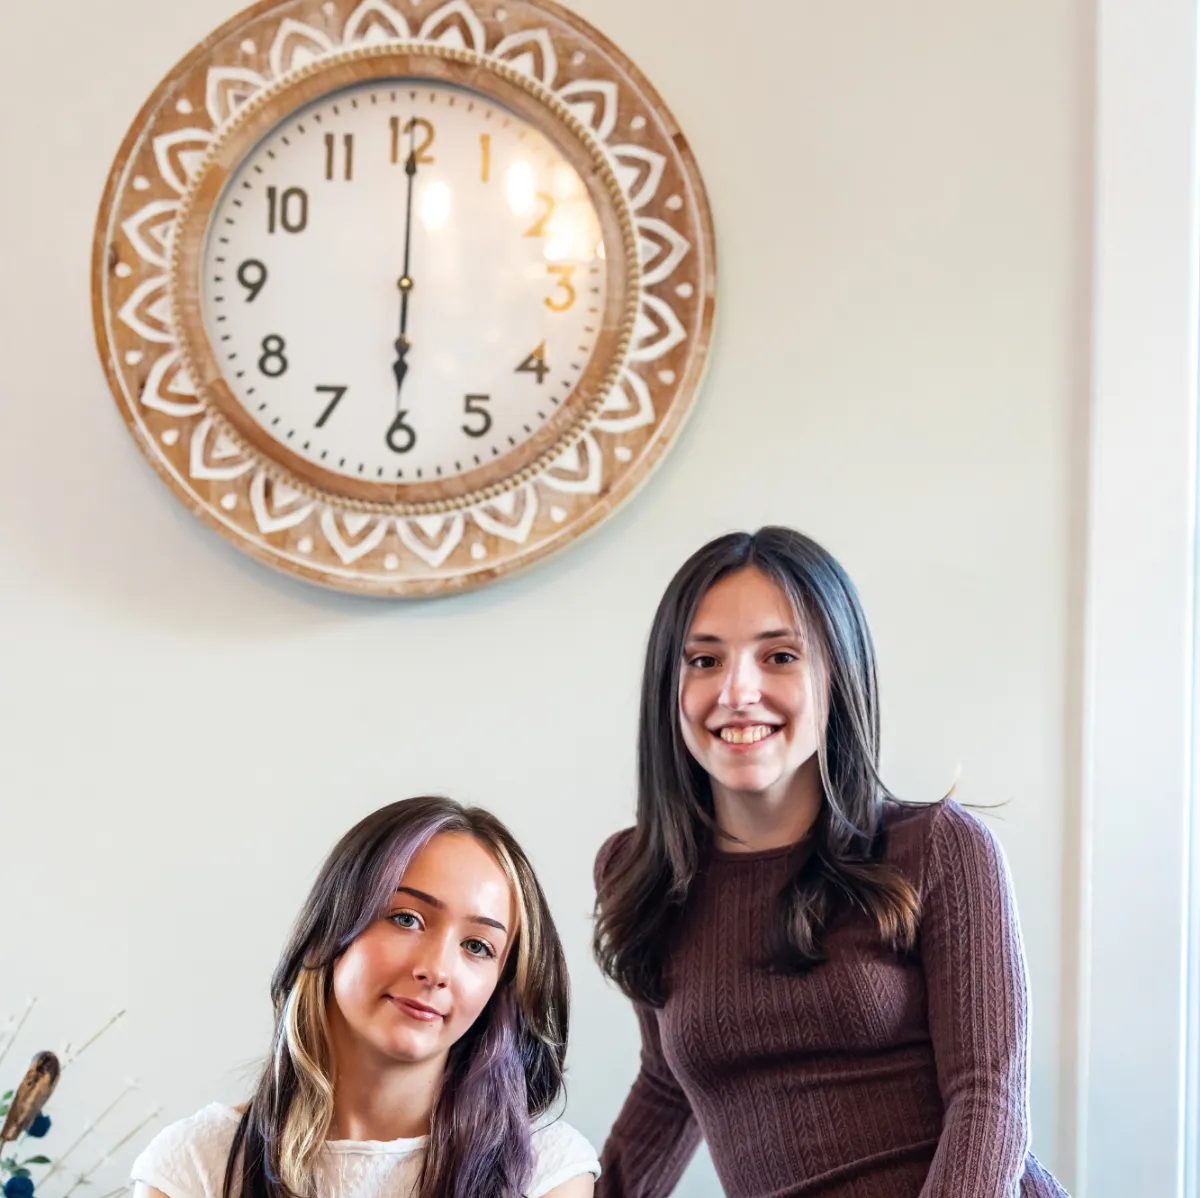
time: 6:00
